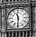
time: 11:30
